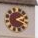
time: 2:18
